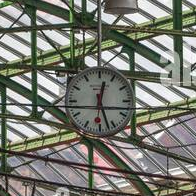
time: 12:26
